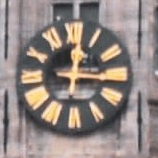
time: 12:16
